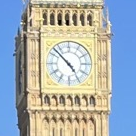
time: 4:52
